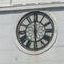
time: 5:59
